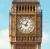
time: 12:47
